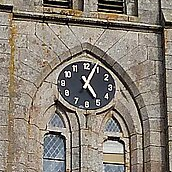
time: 5:04
